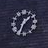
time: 1:33
